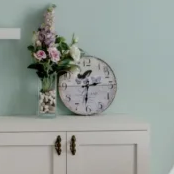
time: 2:31
